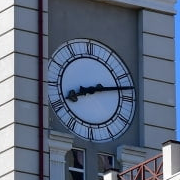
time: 8:12
